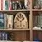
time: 1:50
